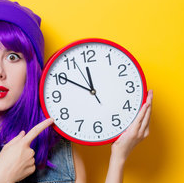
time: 11:50
